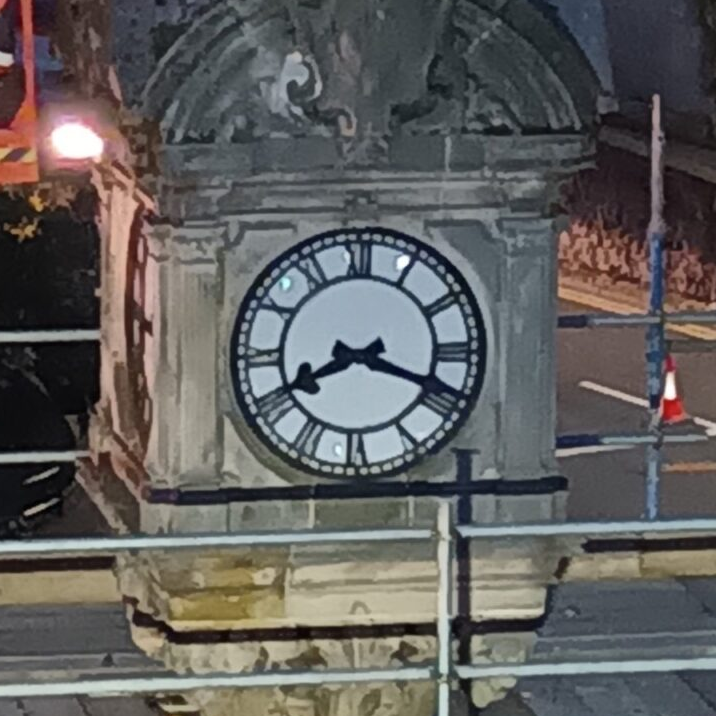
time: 8:18
